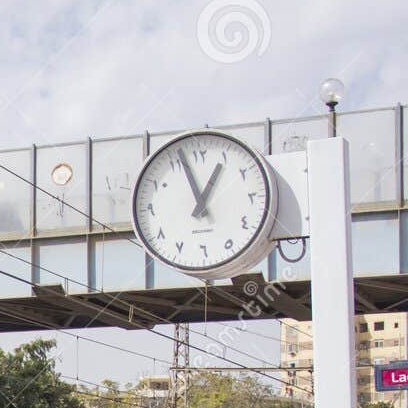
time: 12:57
